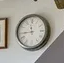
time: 11:44
